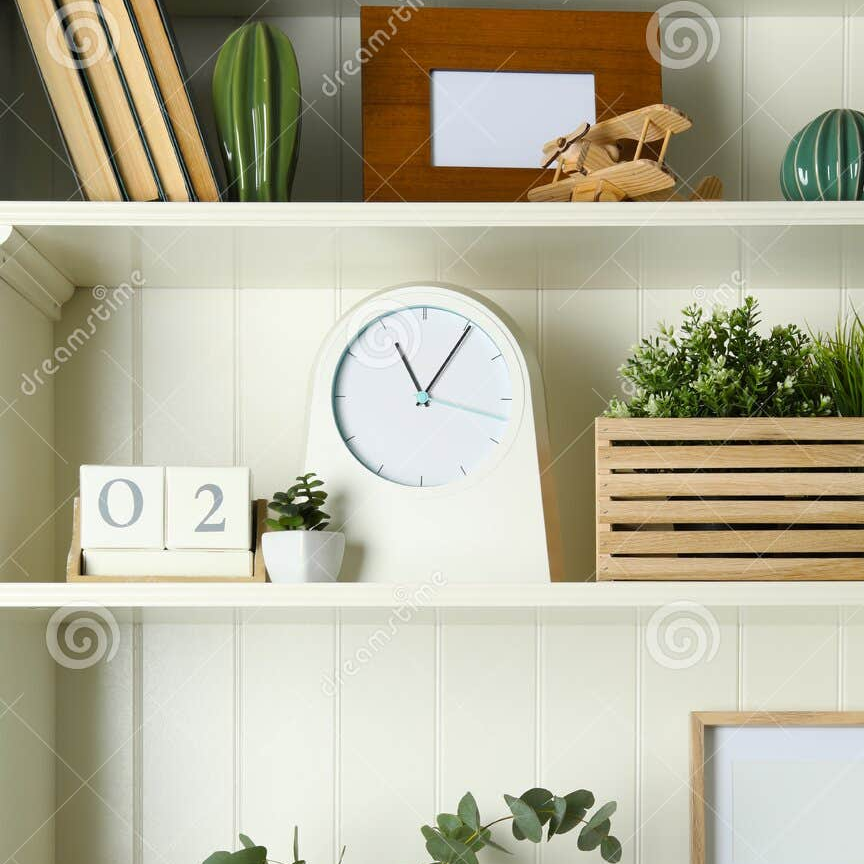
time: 11:05
